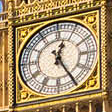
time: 12:24
